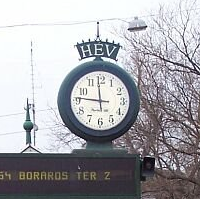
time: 11:46
